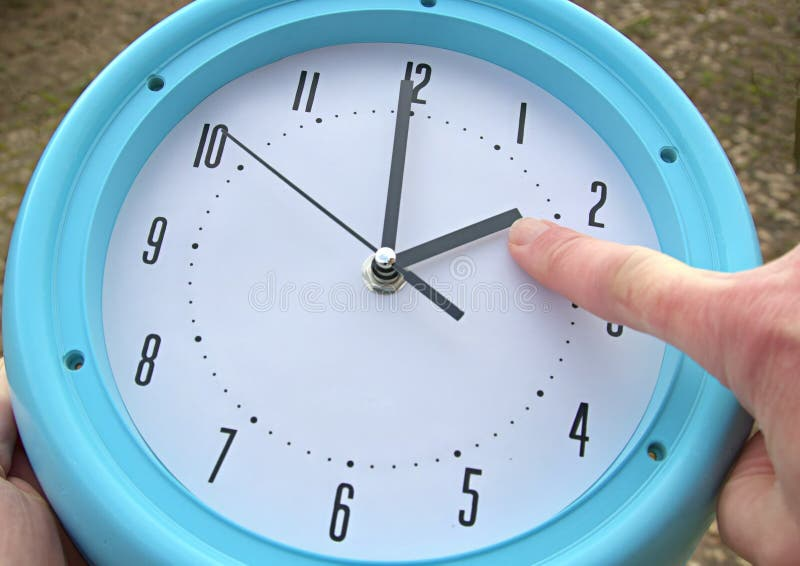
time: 1:59
